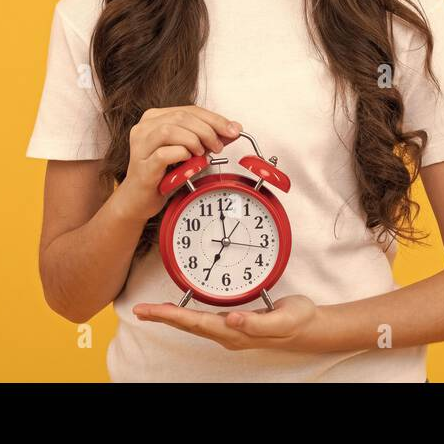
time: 6:58
